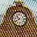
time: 10:39
